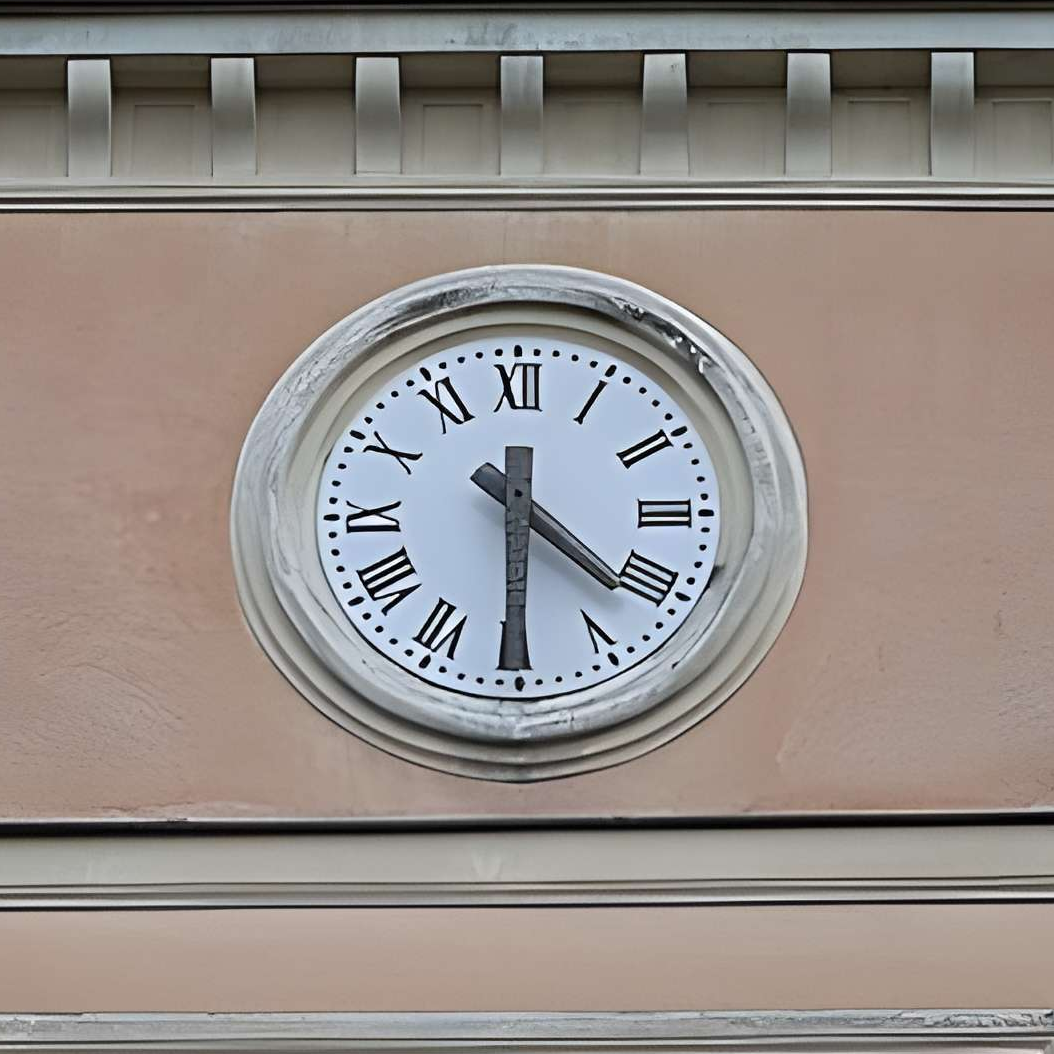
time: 4:30
